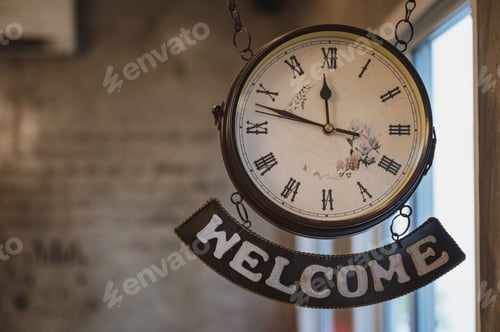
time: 11:47
